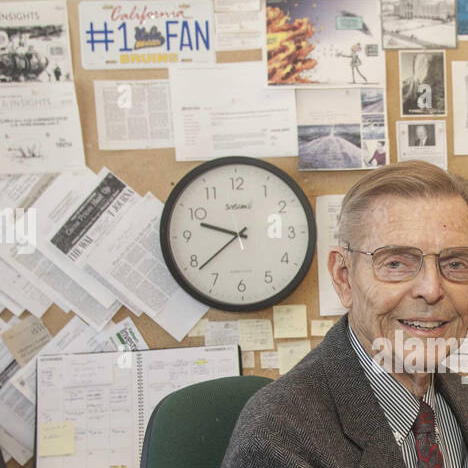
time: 9:38
